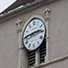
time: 2:44
